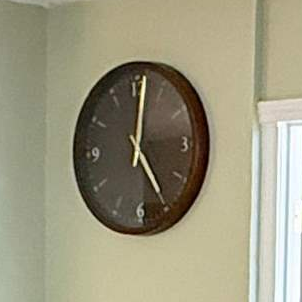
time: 5:01
